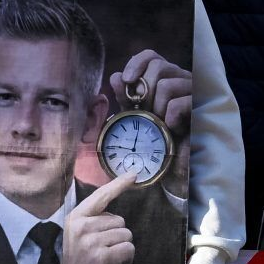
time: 9:01
